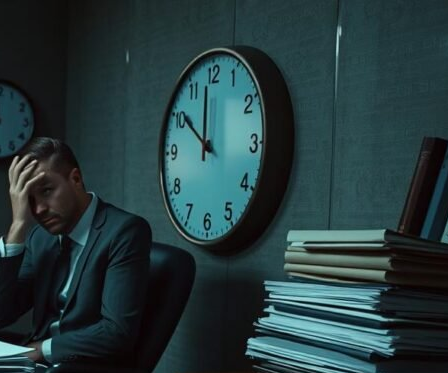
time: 11:50
